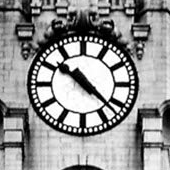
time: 10:22
